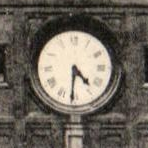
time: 4:30
